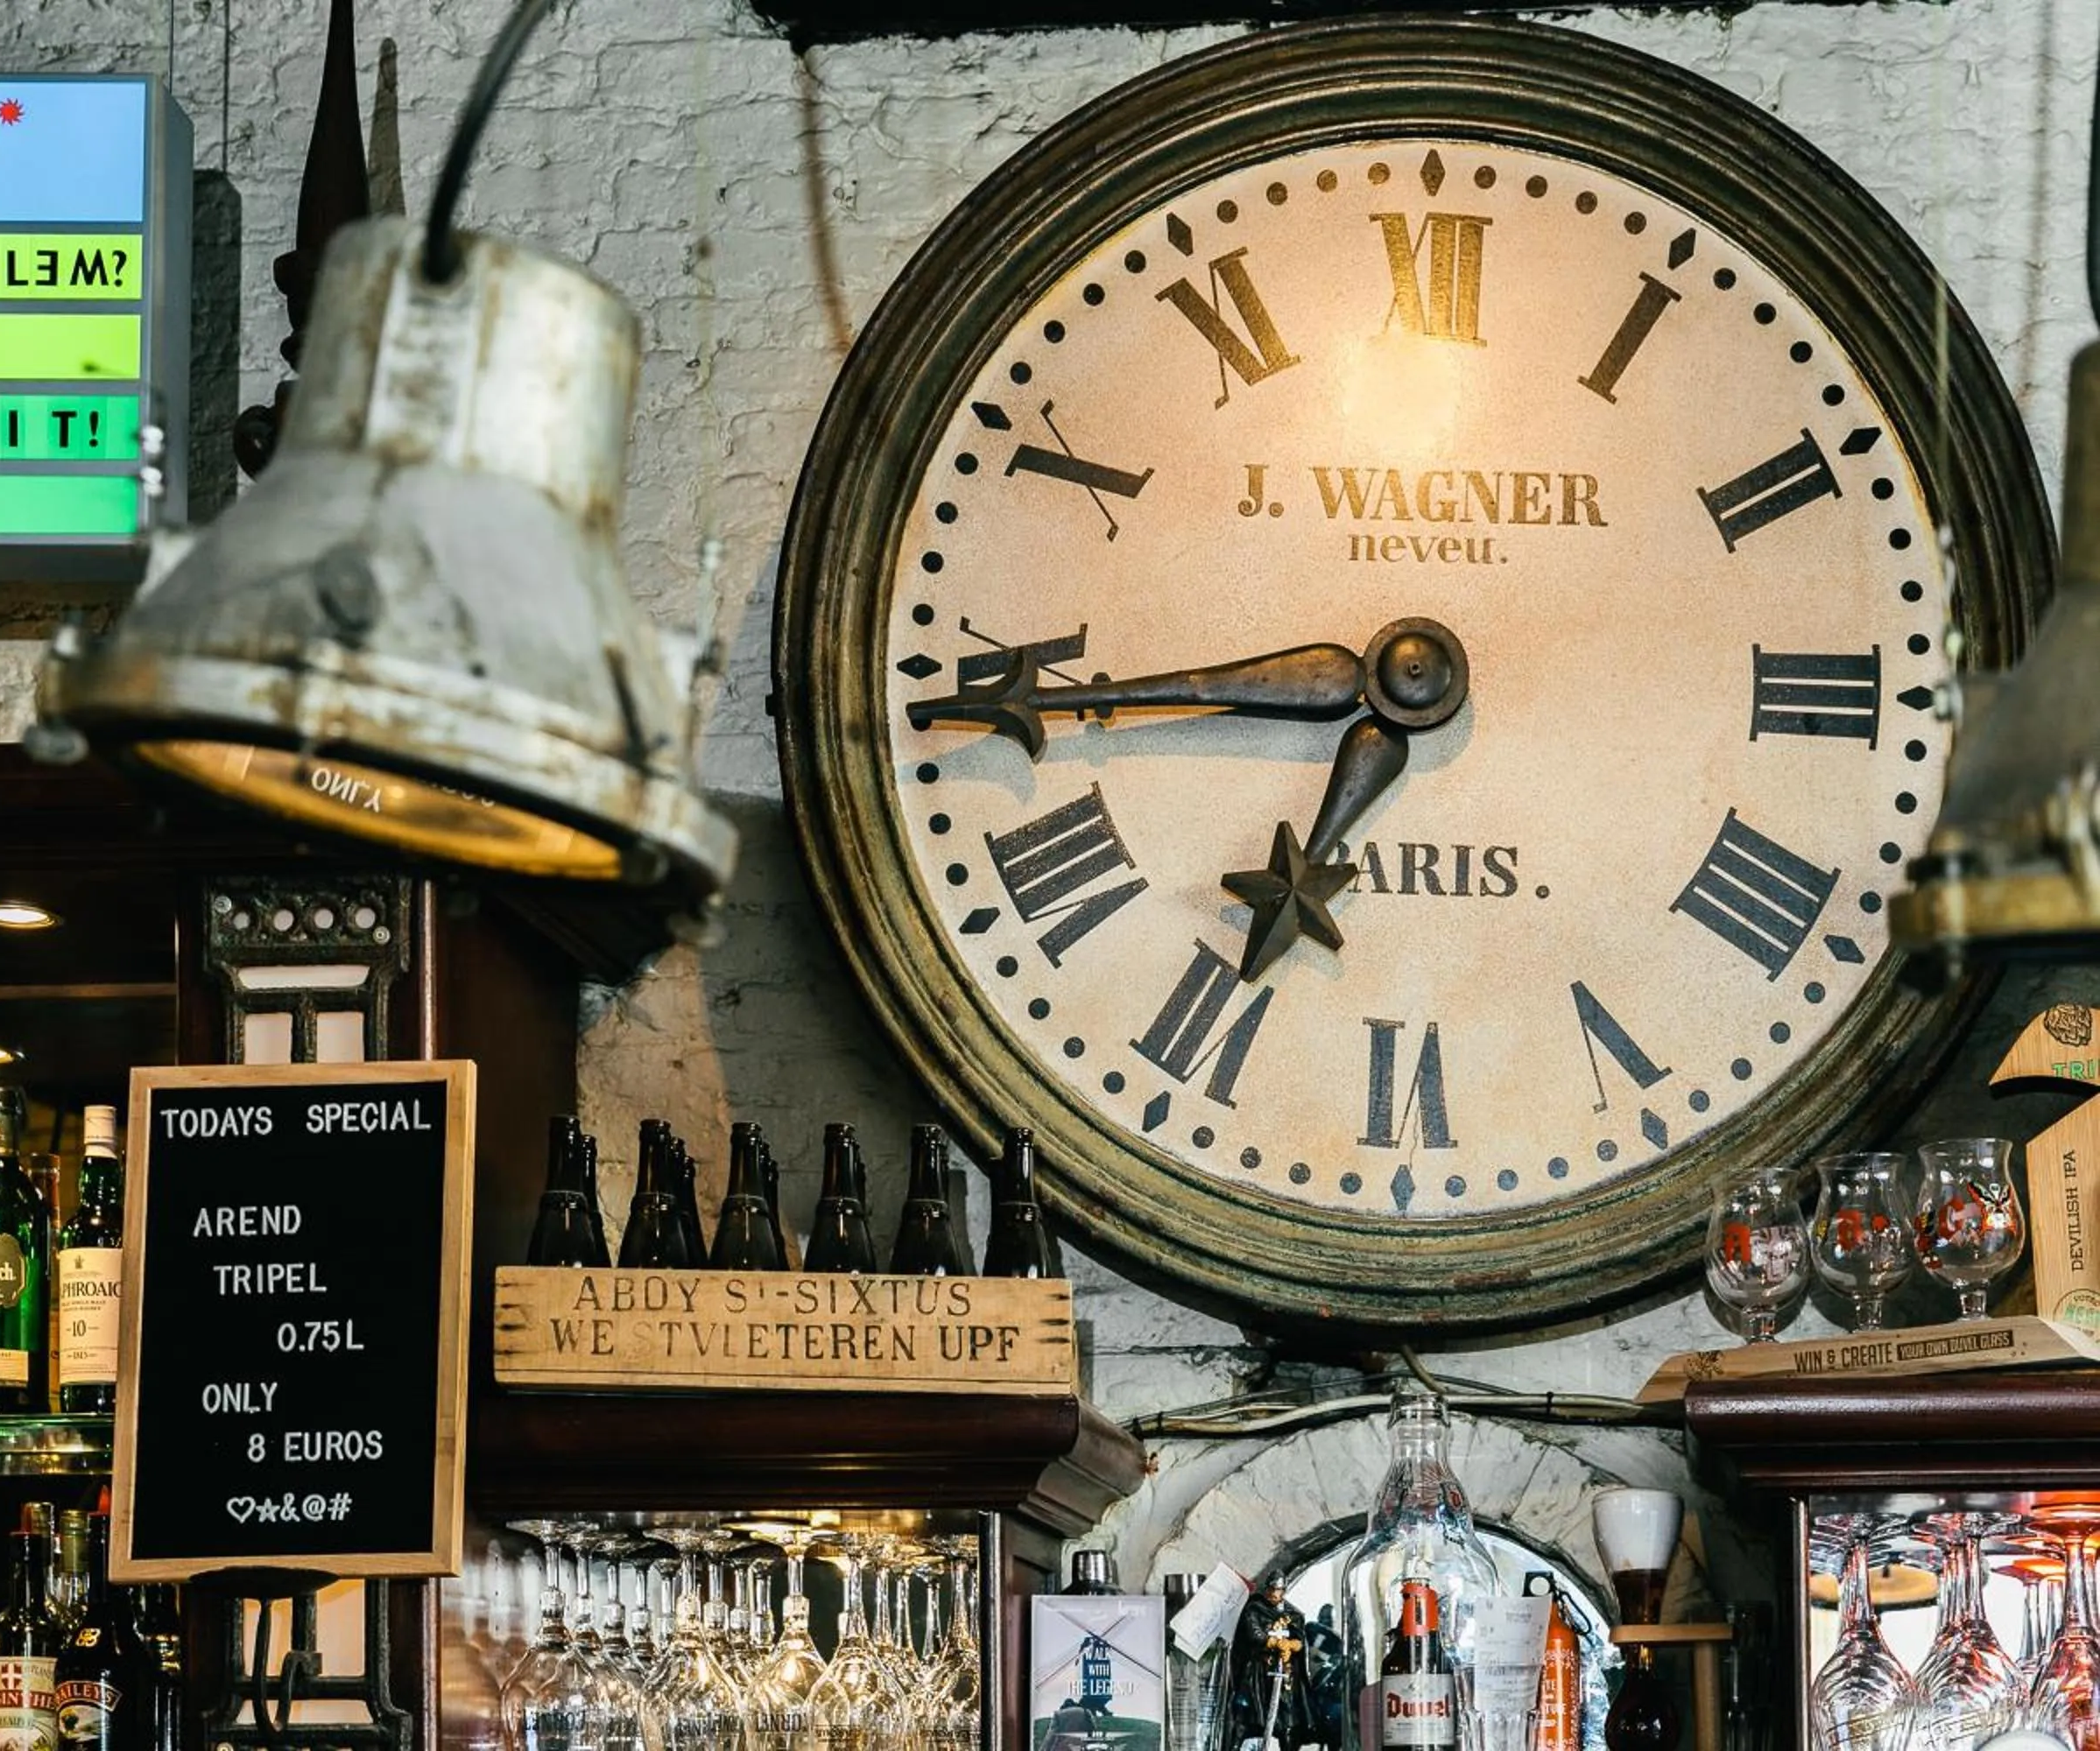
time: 6:44
